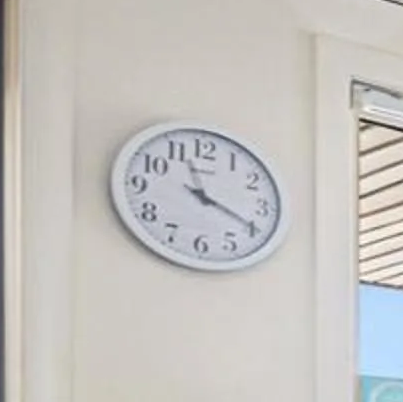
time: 11:19
